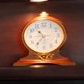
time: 10:36
